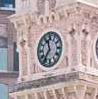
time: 11:36
